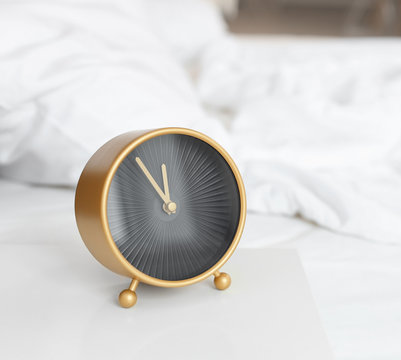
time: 11:53
